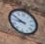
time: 8:49
